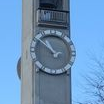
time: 10:51
